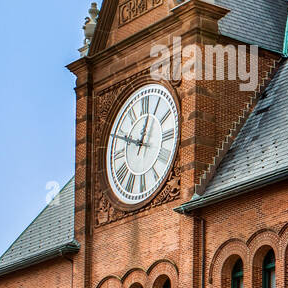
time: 12:48
